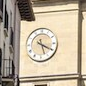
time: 5:19
